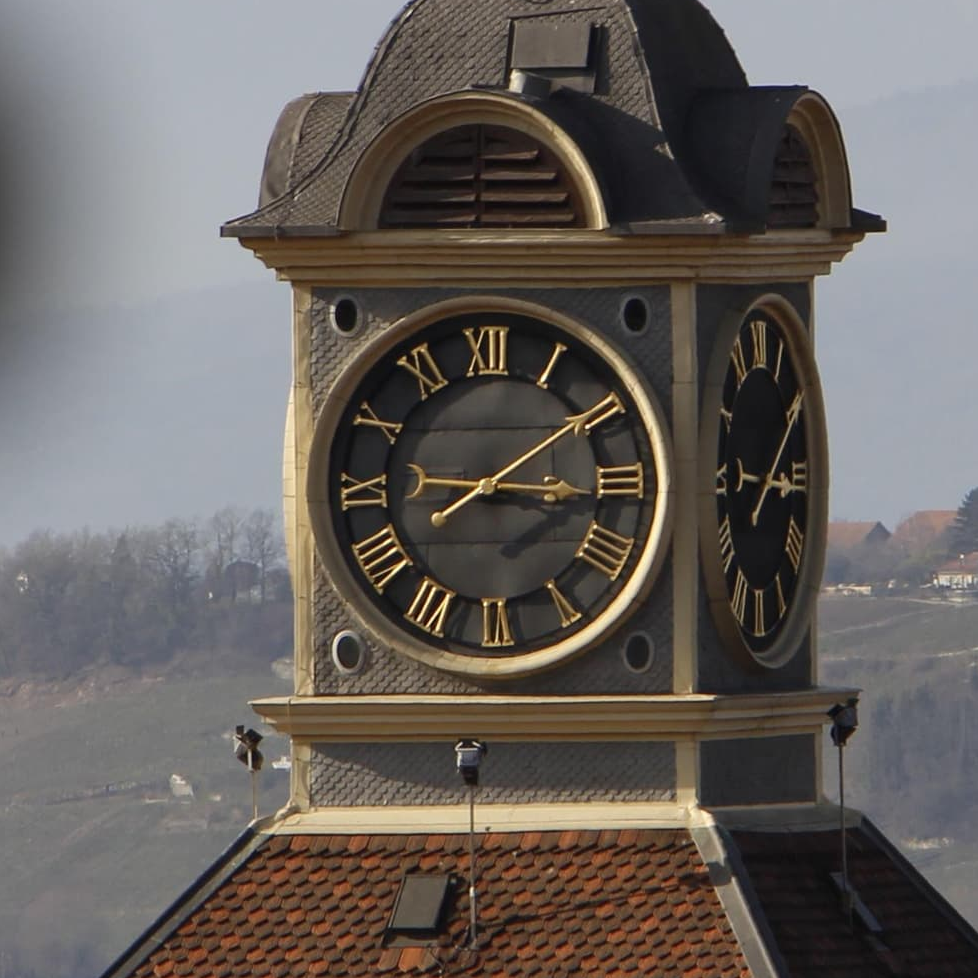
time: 8:16
